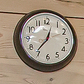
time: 12:36
